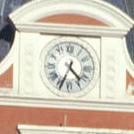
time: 4:34
